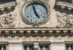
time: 4:57
